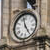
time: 4:57
